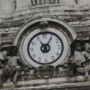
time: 11:05
